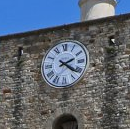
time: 2:21
